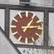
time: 1:13
